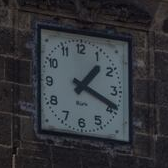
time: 1:18
